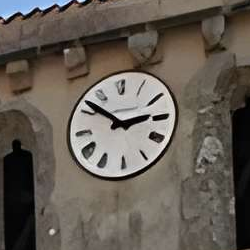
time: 2:51
